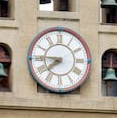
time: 7:45
